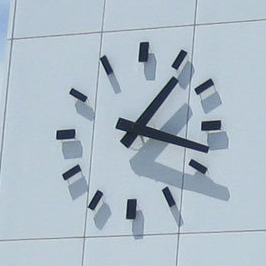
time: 1:17
